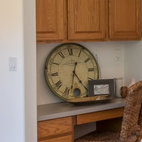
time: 4:33
